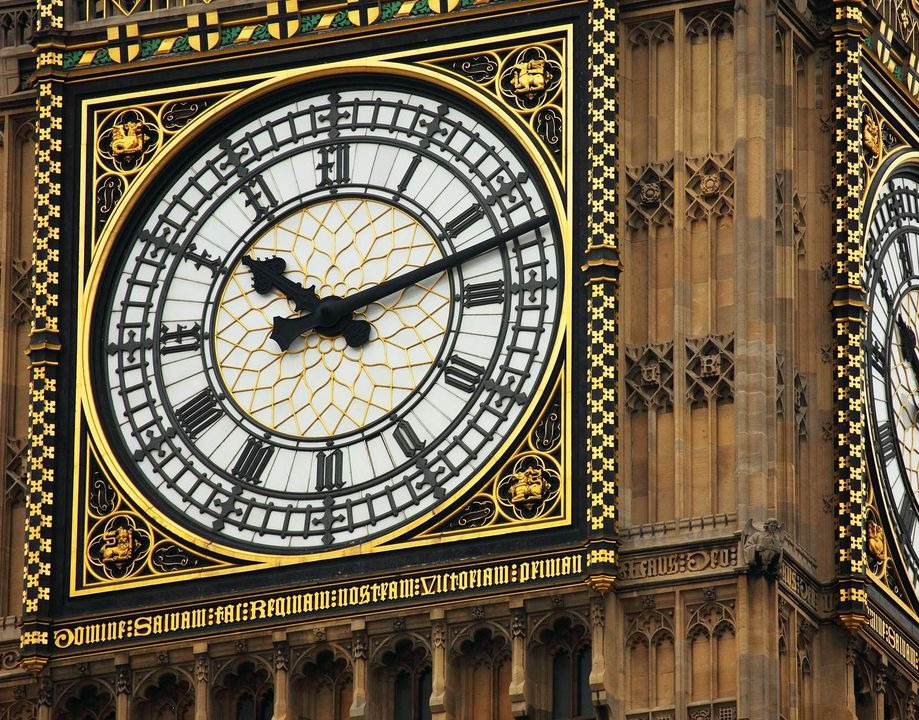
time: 10:12
